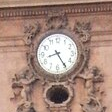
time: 8:24
